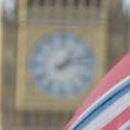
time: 1:11
